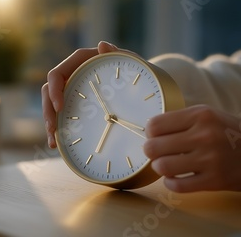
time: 6:53
